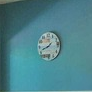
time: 1:41
